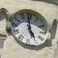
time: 4:59
